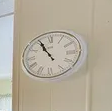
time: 10:55
